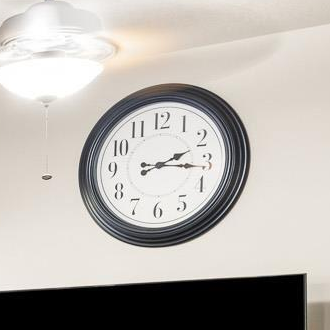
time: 2:16
